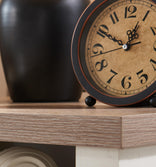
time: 12:49
